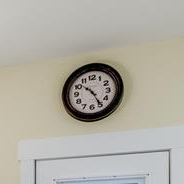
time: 10:24
